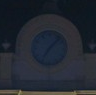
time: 7:07
